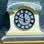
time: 11:48
